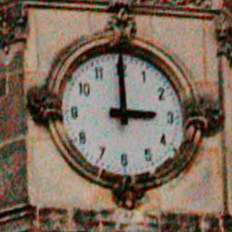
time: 2:59
